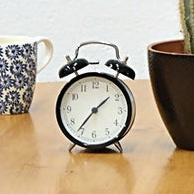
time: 1:36
